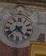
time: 4:38
